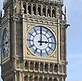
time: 3:00
